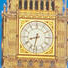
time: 8:32
